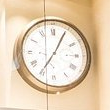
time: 7:04
